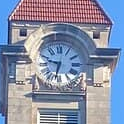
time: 9:32
